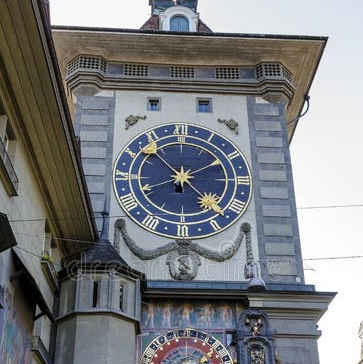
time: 6:22
